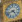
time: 4:42
